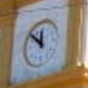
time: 11:51
